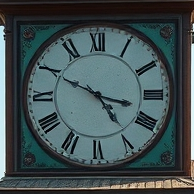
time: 4:49
